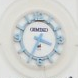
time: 3:34
